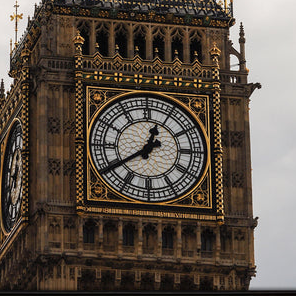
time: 12:39
